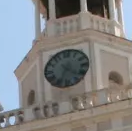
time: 4:33
